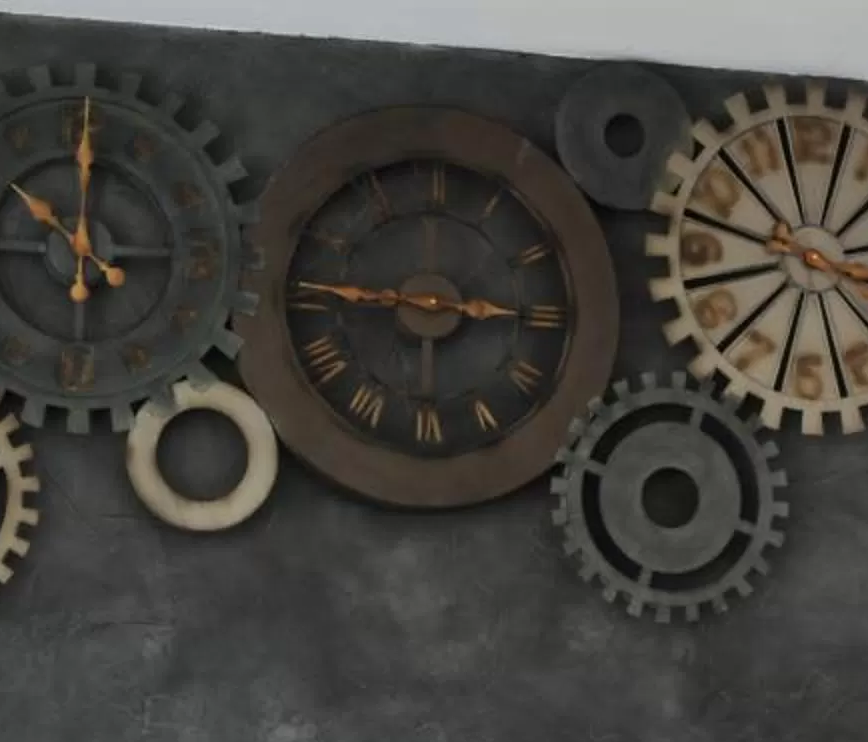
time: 9:15
